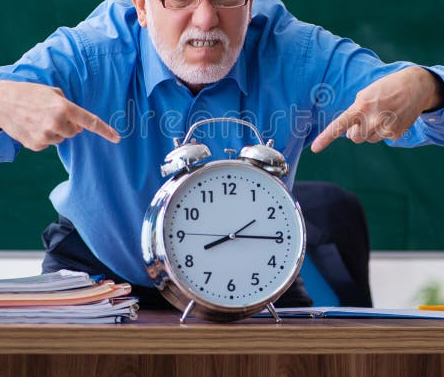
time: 8:15
